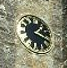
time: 1:18
